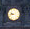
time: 9:43
